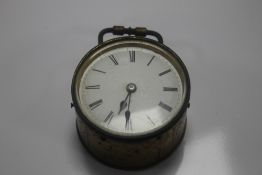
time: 6:30
